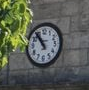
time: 10:53
